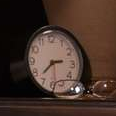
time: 2:37
